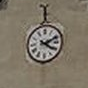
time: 4:11
